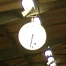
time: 6:32
